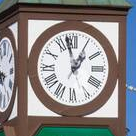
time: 12:58
